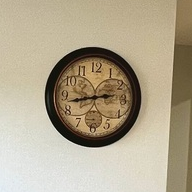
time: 2:42
